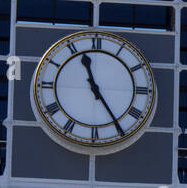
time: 11:24
